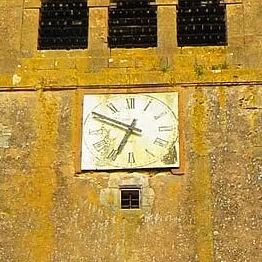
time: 6:49
